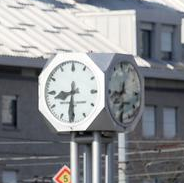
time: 8:30
